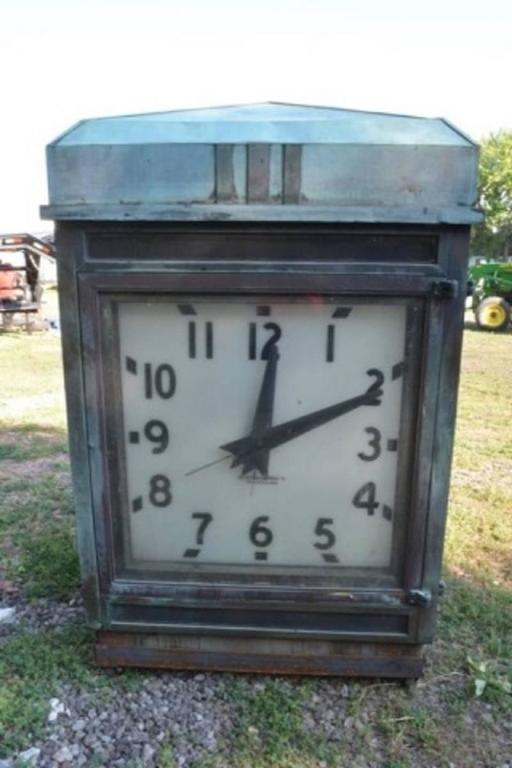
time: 12:10
